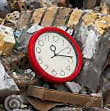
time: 11:13
